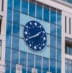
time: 1:41
